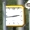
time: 2:43
